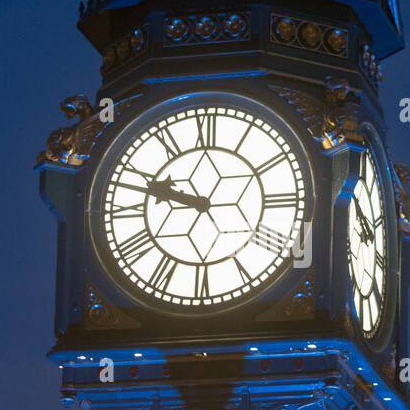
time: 9:47
